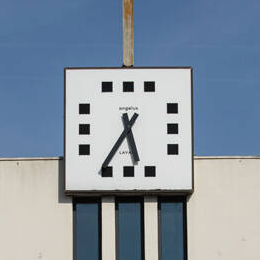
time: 5:35
